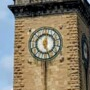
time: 12:26
